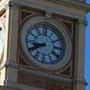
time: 8:40
